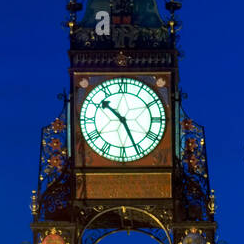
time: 10:25
